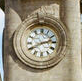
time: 2:40
